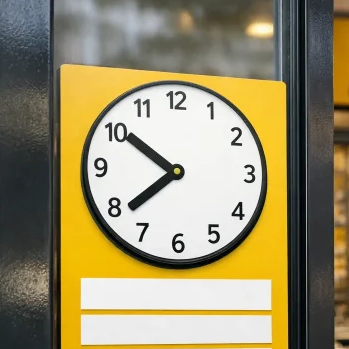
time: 7:50
